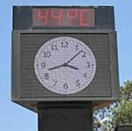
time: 3:42
